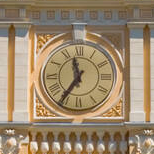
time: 11:35
